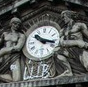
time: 10:17
